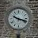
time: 10:18
